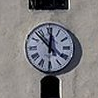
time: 11:52
